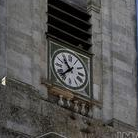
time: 10:37
